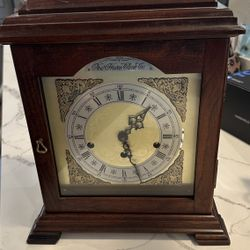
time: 1:26
